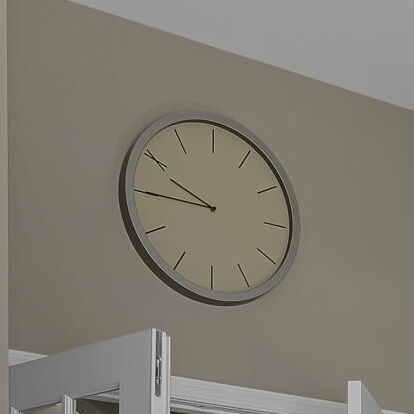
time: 9:45
